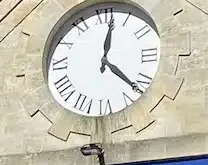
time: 12:22
